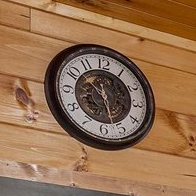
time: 10:27
